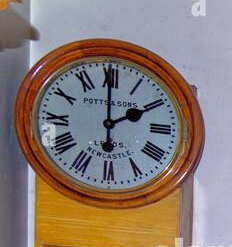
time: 1:59
